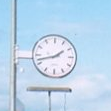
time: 1:42
